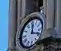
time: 12:18
